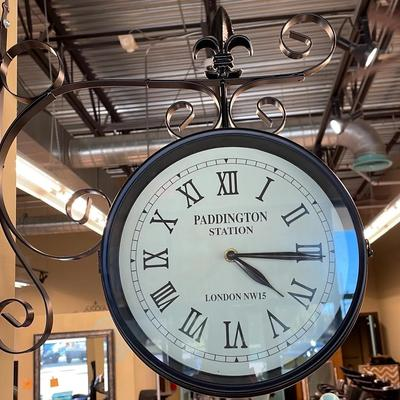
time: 4:15
